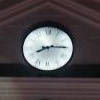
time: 8:14
